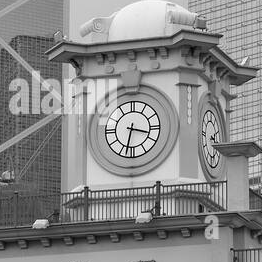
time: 3:32
